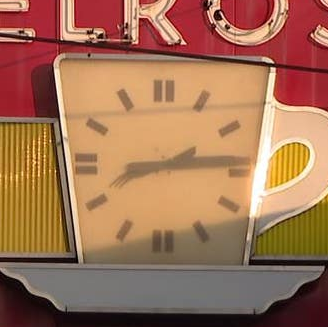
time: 8:14
